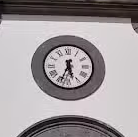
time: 5:33
